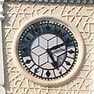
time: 5:11
